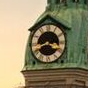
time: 3:42
